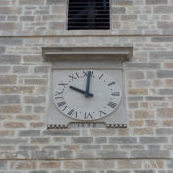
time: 10:00
